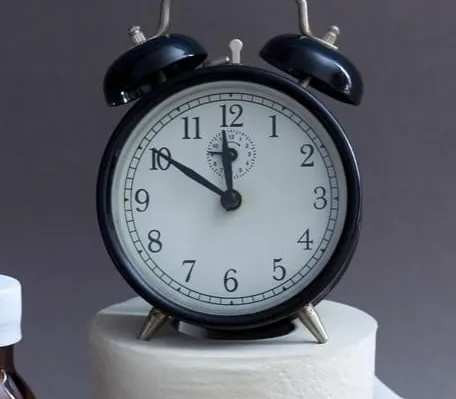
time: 11:50
